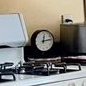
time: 12:13
